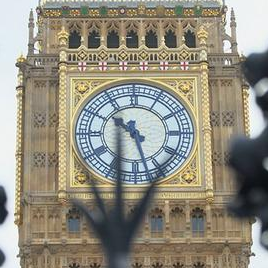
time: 10:27
